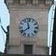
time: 11:38
